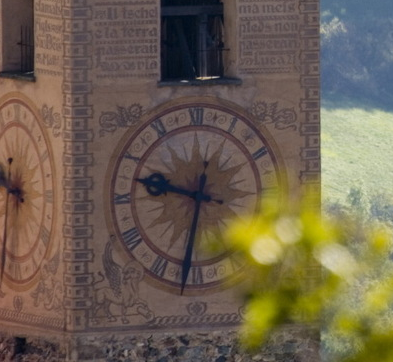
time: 9:32
